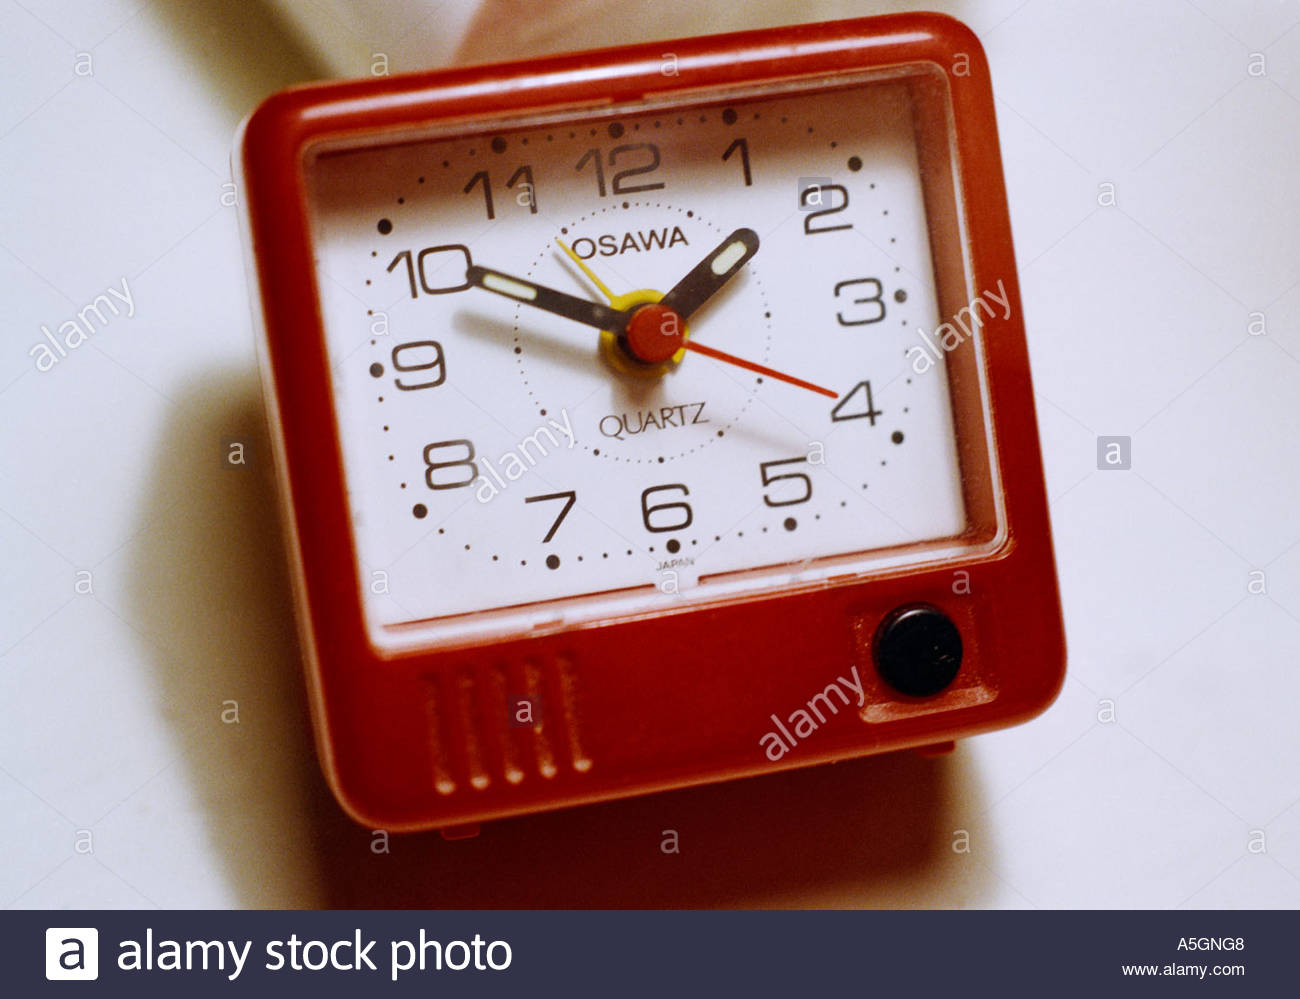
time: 1:50
